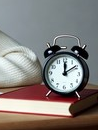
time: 12:09
